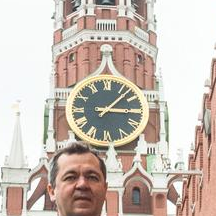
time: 3:07
